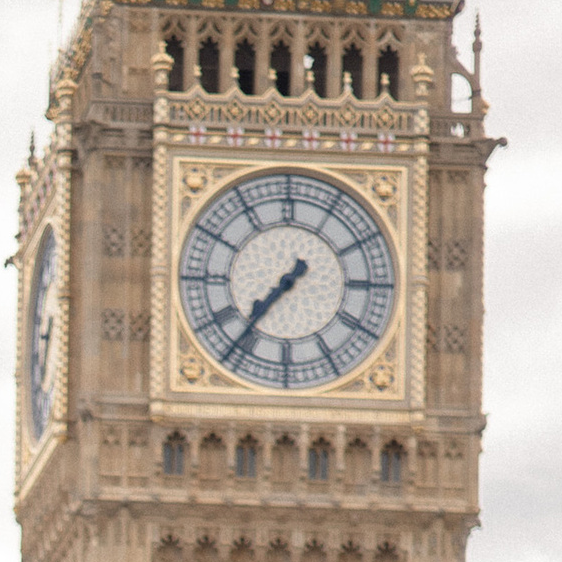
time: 7:36
